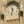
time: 11:32
